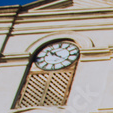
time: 10:20
